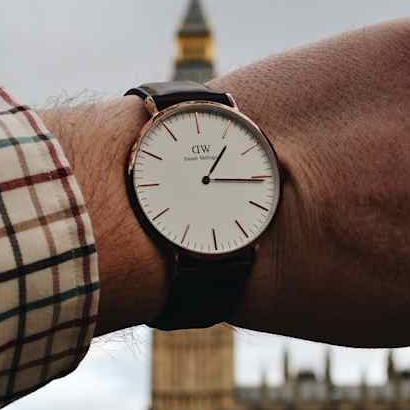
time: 1:15
